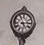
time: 5:14
